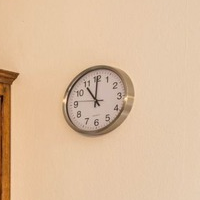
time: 11:00
